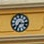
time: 7:16
